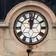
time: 12:02
